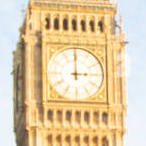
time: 2:59
